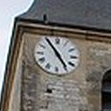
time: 4:54
